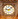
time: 9:08
